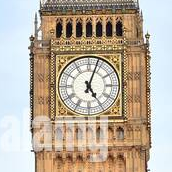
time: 5:03
